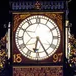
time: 6:25
